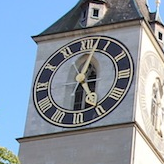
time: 5:02
